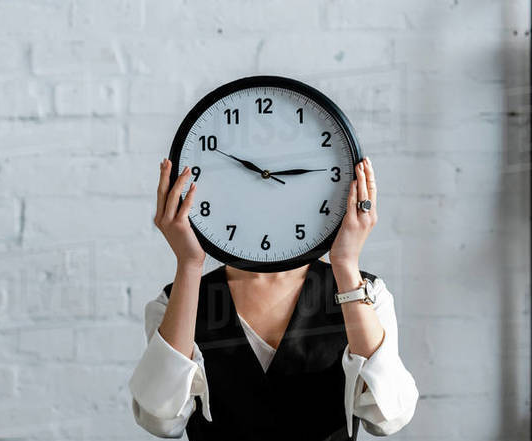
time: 2:49
